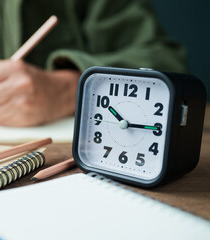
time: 10:14
